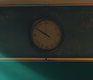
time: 9:50
